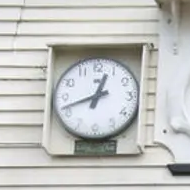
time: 12:41
